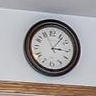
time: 3:06
